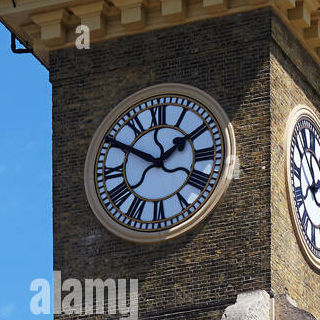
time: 1:50
